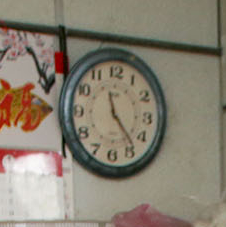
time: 11:23
